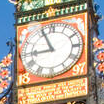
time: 8:56
